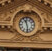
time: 11:28
